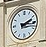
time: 2:16
